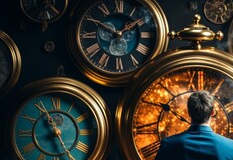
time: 1:50
